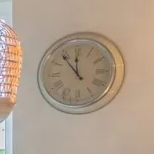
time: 11:53
